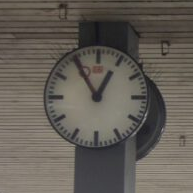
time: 12:54
